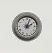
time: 2:03
